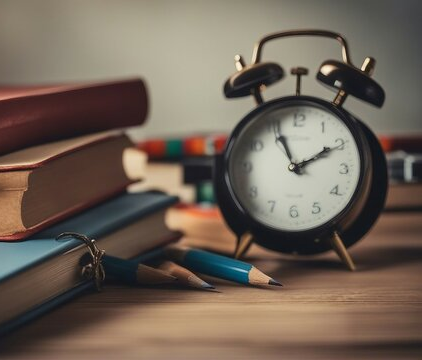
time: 1:56
